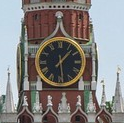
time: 1:29
